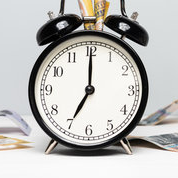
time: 7:00
